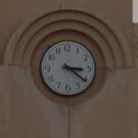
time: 3:21
